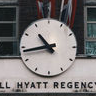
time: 10:43
